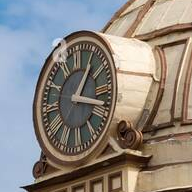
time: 1:18
